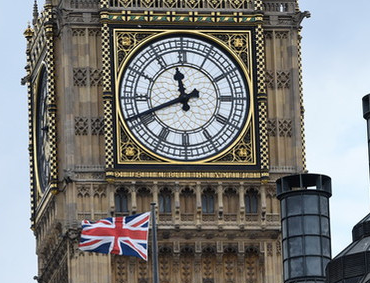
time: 11:41
